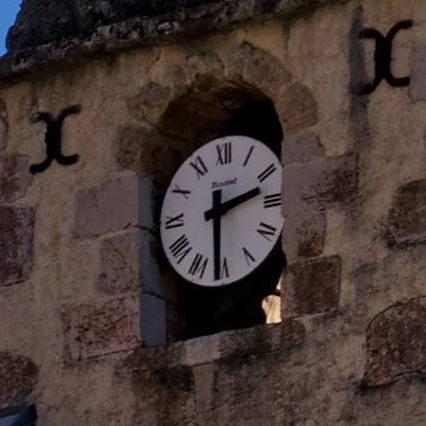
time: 2:30
